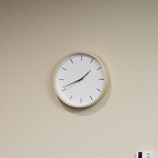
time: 1:41
